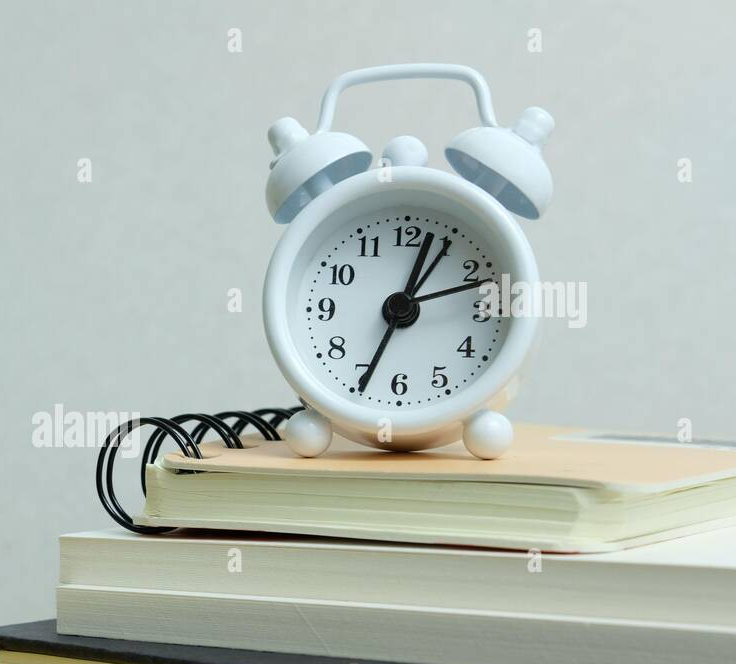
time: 12:34
